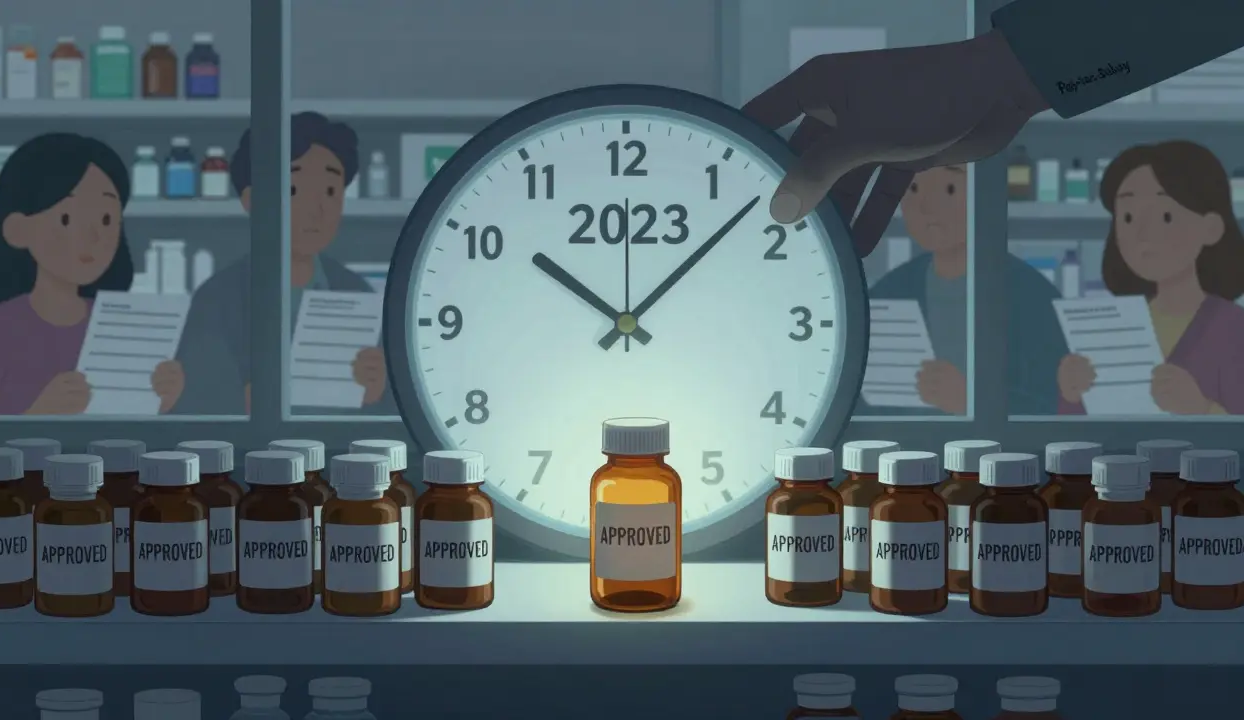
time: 10:07
